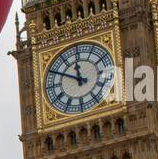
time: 11:49
